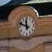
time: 11:48
